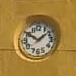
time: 10:08
